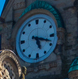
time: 5:18
